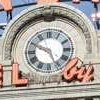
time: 4:49
